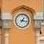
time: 1:16
